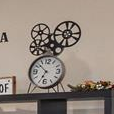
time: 6:52
